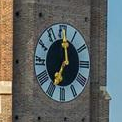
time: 7:00
